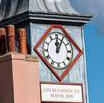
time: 12:05
